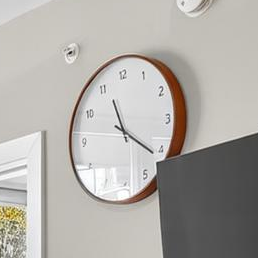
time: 11:21
